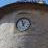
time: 12:57
